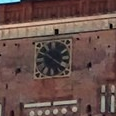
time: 10:20
